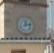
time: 12:12
